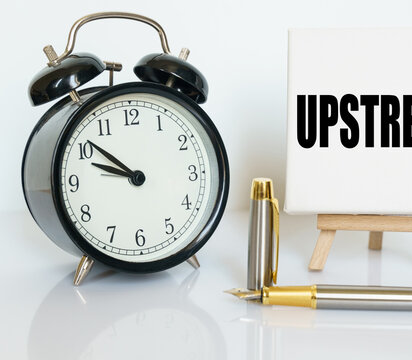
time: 9:51
